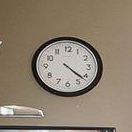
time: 4:21
